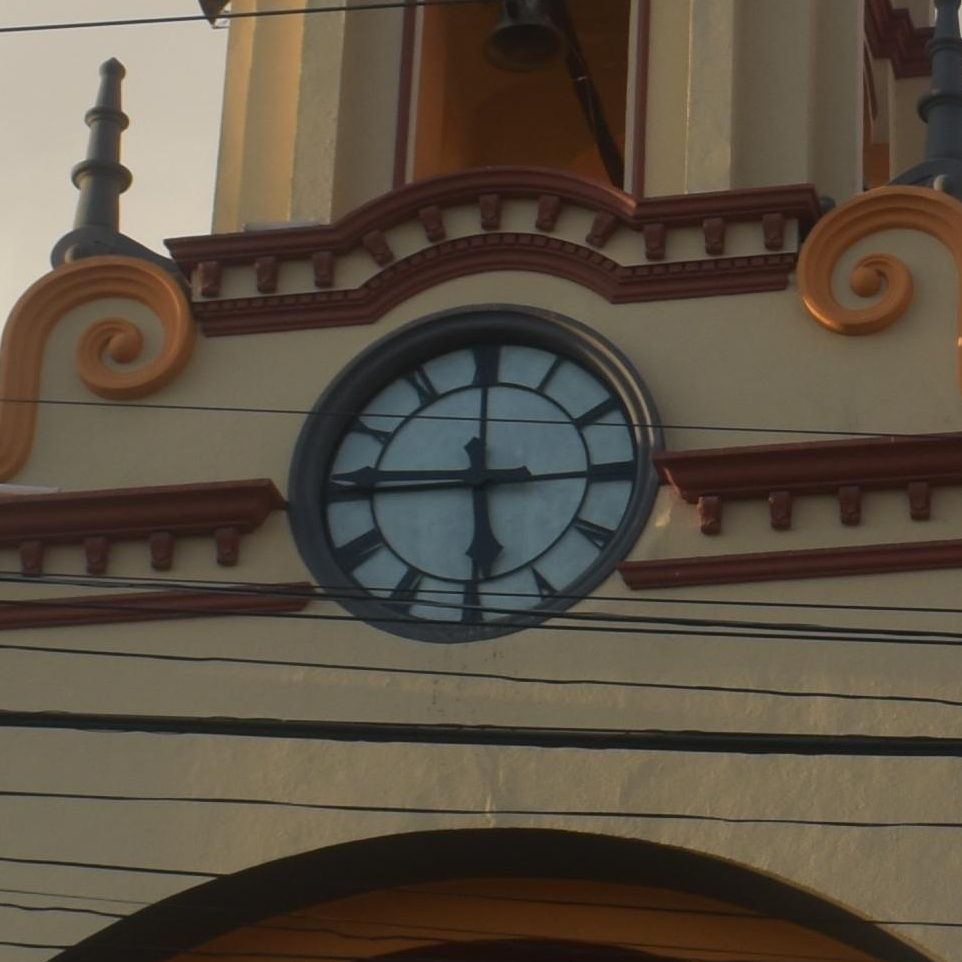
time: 5:45
